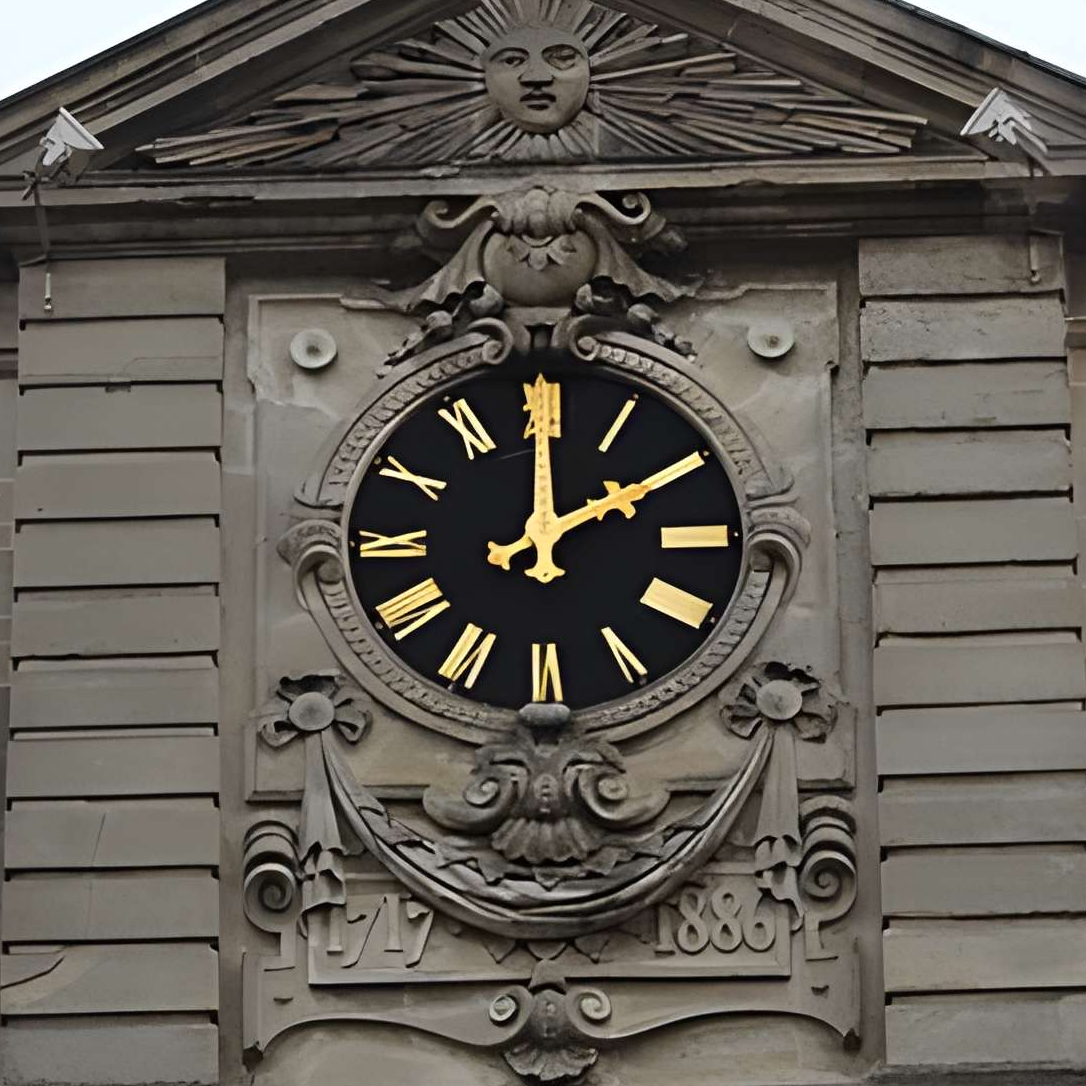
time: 2:00
